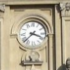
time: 3:37
